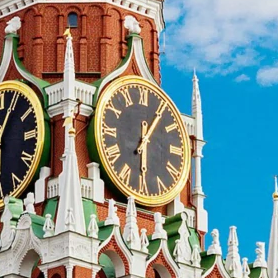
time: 6:06
